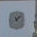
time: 11:07
